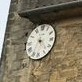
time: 4:35
